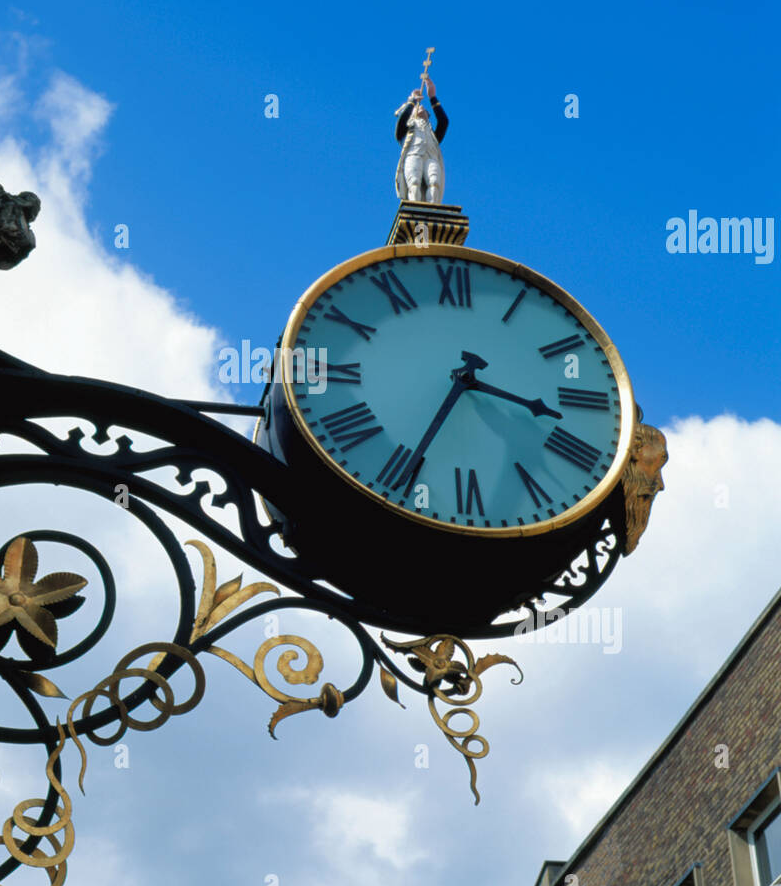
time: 3:34
